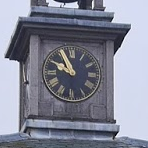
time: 9:55
